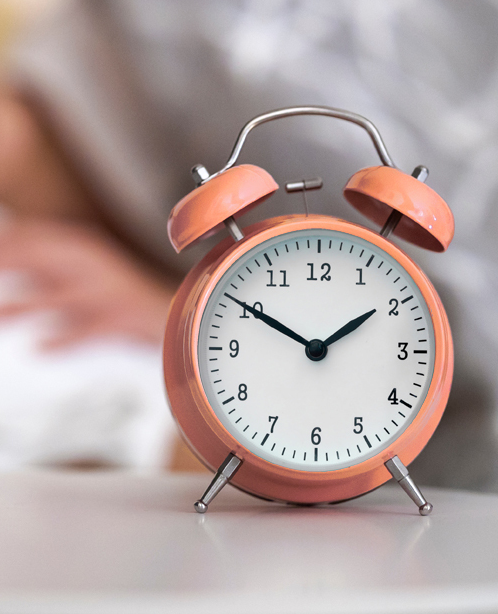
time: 1:50
